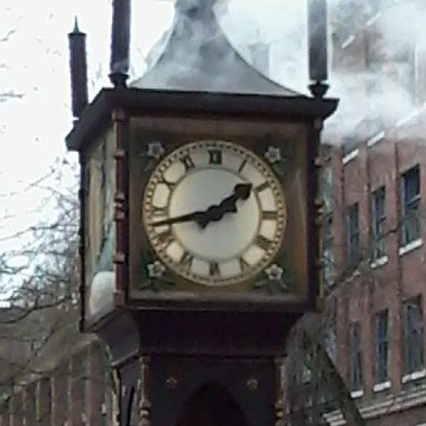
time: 1:42
